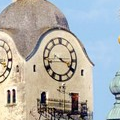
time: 3:43
